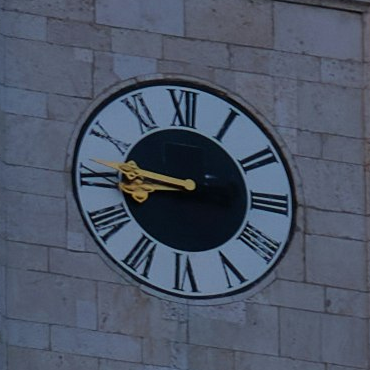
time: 8:45
